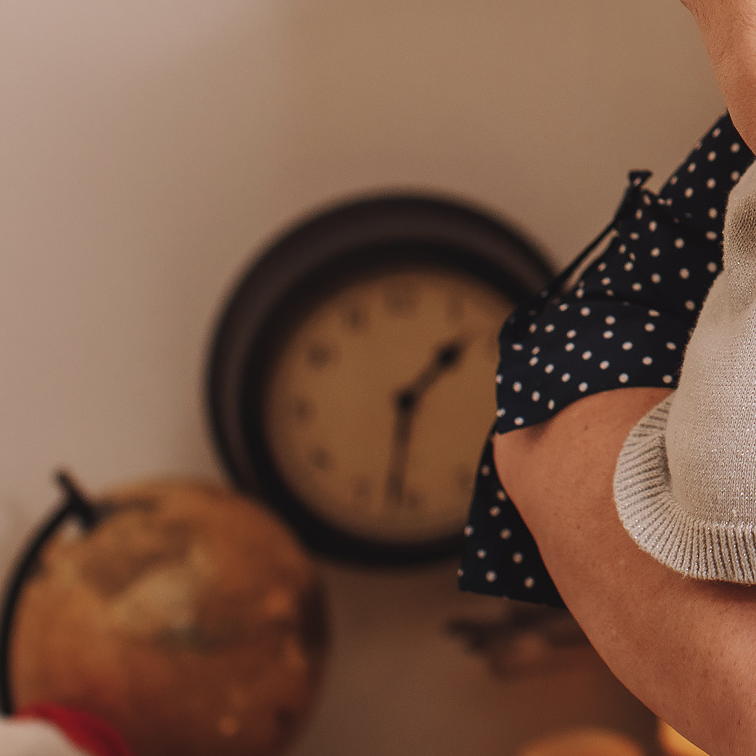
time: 1:32
